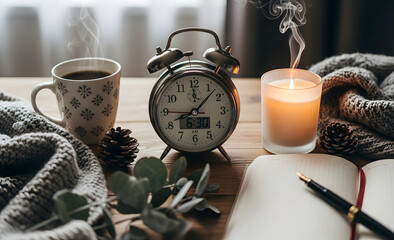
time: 8:07
